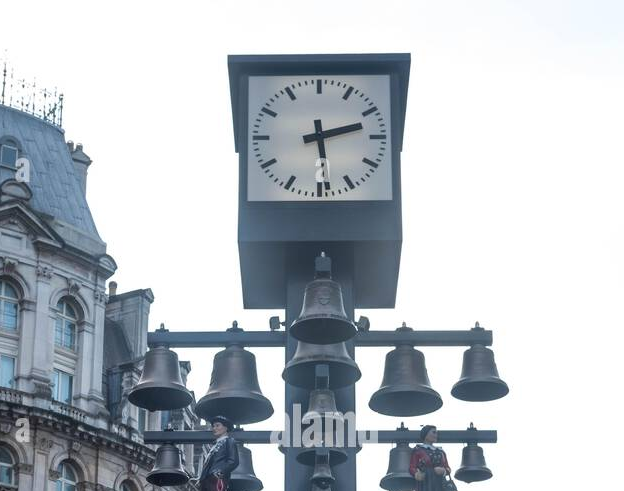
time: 2:28
